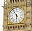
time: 5:54
